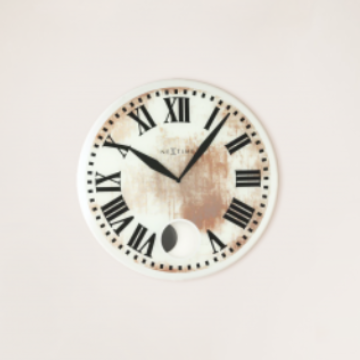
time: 10:06
